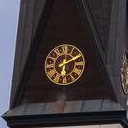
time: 6:10
